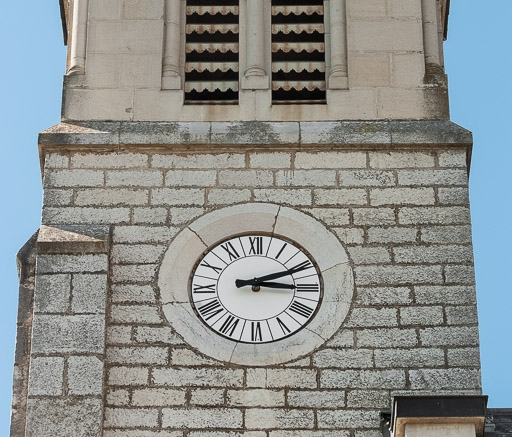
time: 2:15
